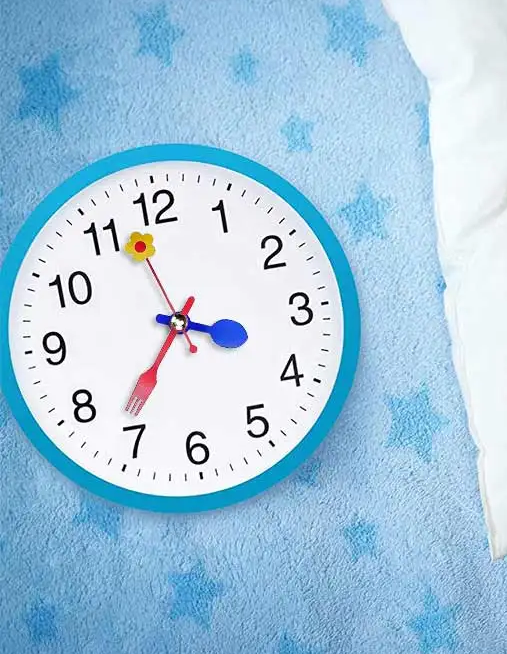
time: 3:36
